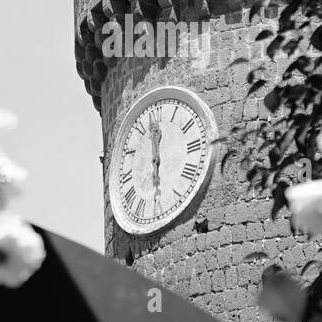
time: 5:59
